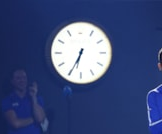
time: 6:34
